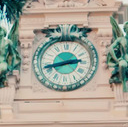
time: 2:42
